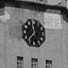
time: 11:36
